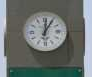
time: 12:05
